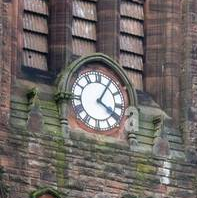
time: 4:05
